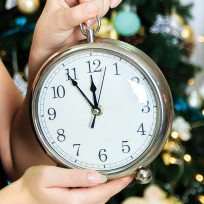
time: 11:54
